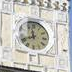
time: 11:40
